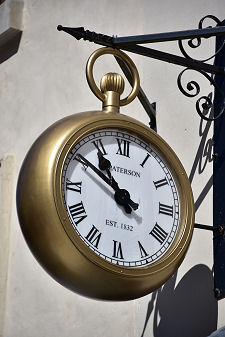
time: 10:50
